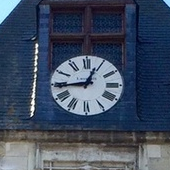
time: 12:44
